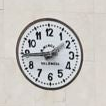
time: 1:44
